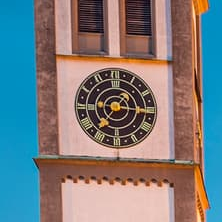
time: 7:15
